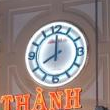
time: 8:00
